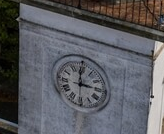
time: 2:59
